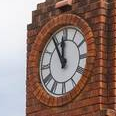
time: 11:55
